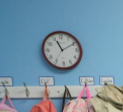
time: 11:10
